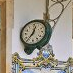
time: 12:36
